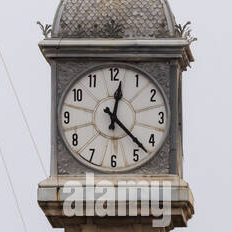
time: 12:22
